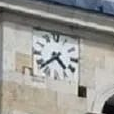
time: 4:37
